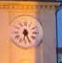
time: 6:26
